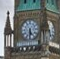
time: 5:31
